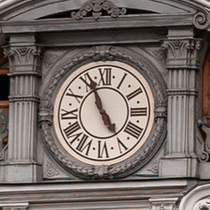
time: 4:56
